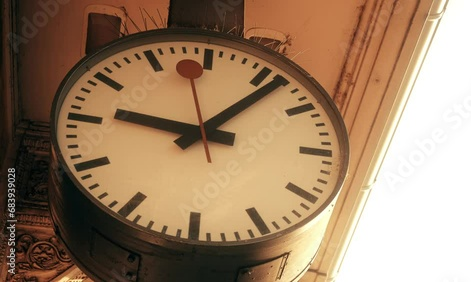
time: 9:07
